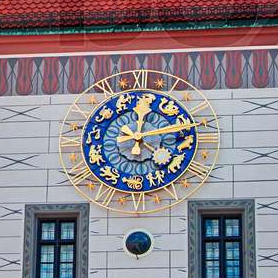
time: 12:14
